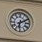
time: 6:10
